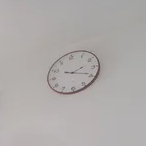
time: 2:18
